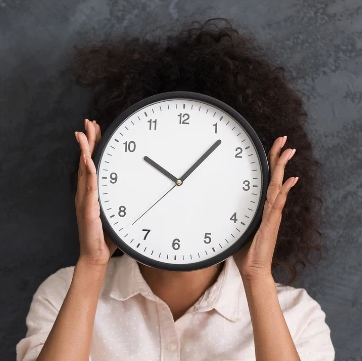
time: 10:07
